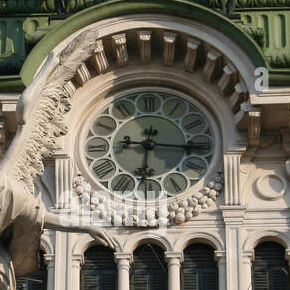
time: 6:15
